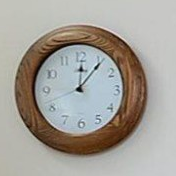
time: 12:06
